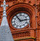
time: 2:54
